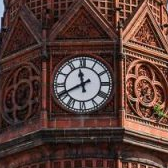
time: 11:40
